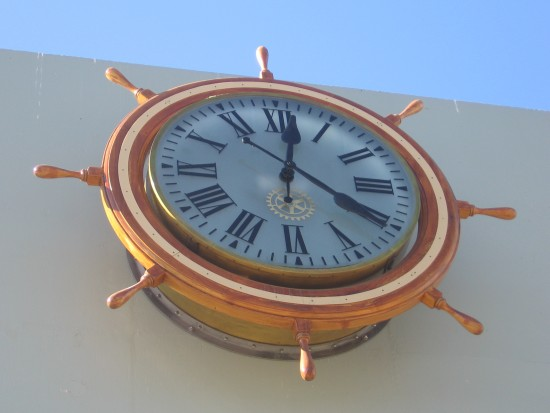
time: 4:01
